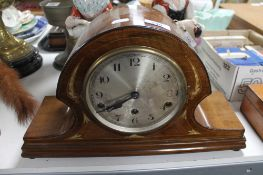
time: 7:40
